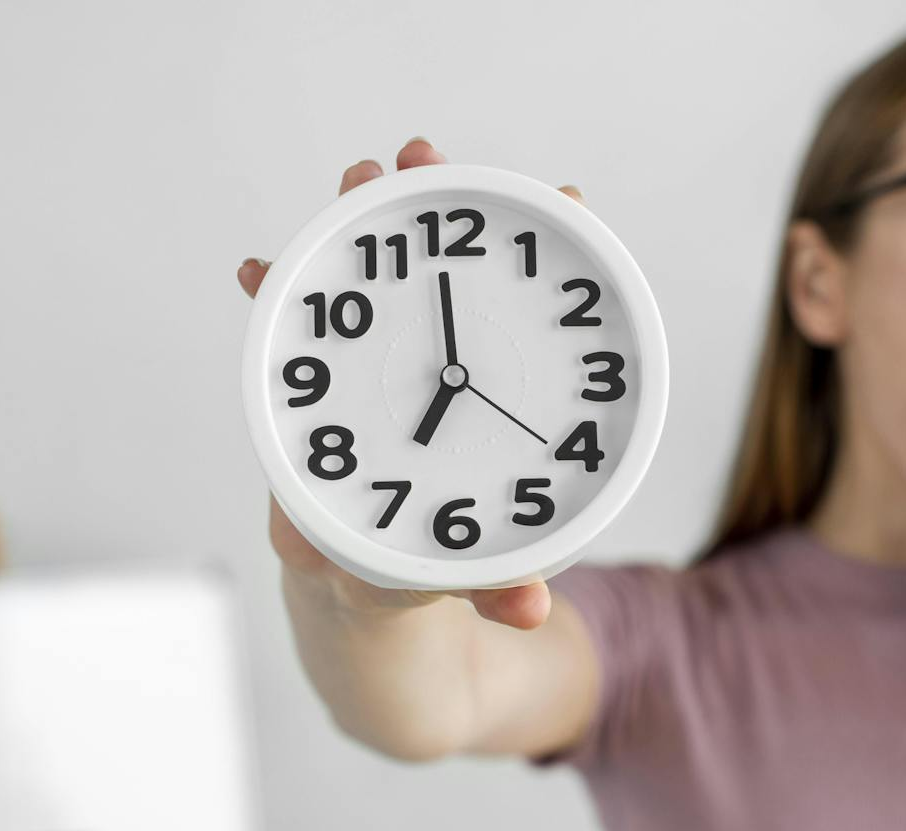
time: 6:58
